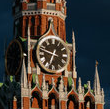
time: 6:47
